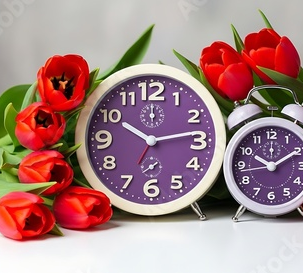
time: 10:13
